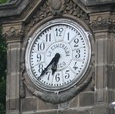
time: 6:37
